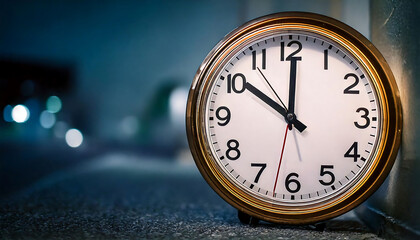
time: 10:00
